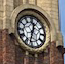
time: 12:32
